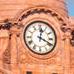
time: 12:19
